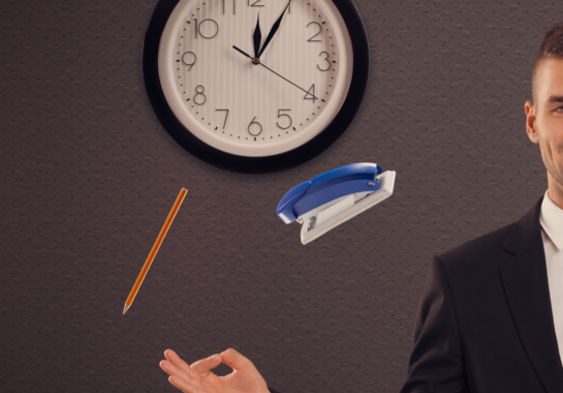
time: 12:04
